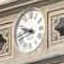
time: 9:42
